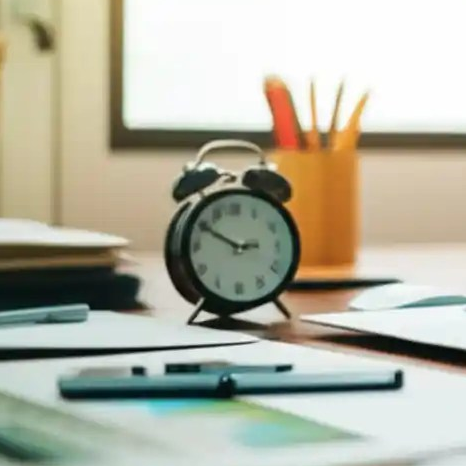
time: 2:50
